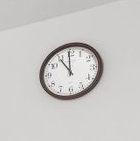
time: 10:59
